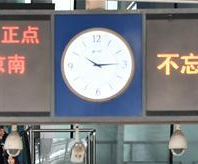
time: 10:14
